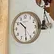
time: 10:30
